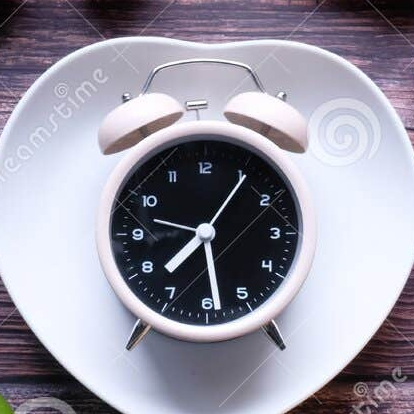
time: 7:28
